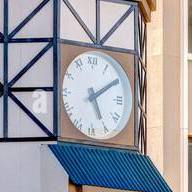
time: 5:09
